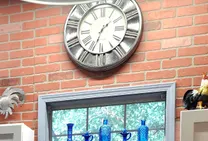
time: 1:33
